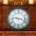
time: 9:17
